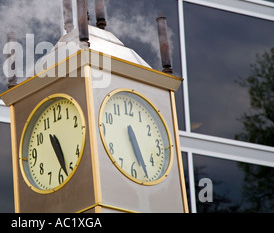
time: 5:26
